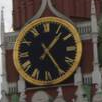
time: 1:24
